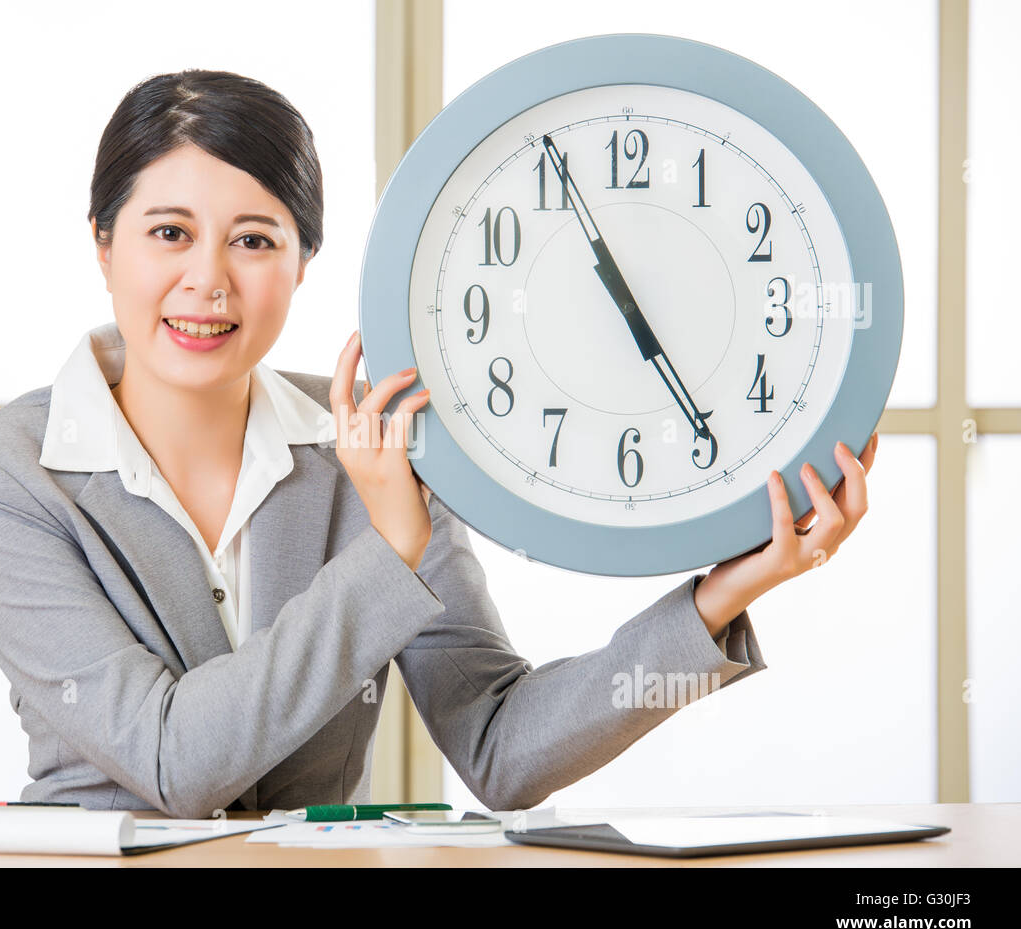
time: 4:55
